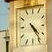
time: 4:23
